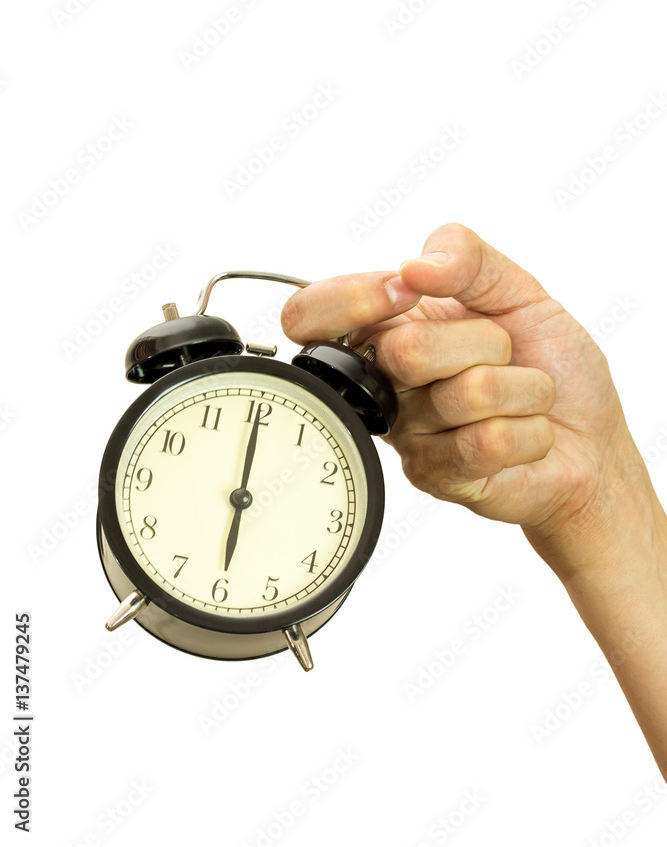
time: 6:00
